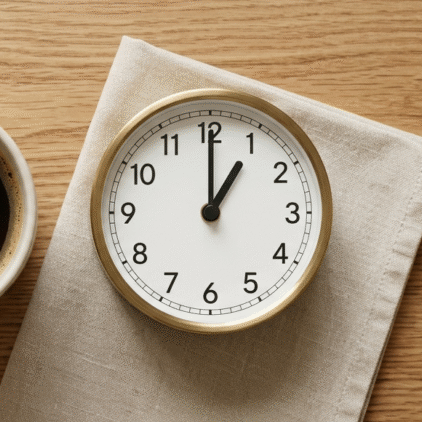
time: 1:00
